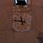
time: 11:46
